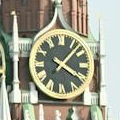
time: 4:07
